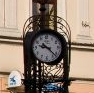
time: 9:22
